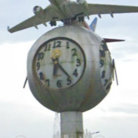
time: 6:23
